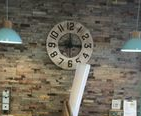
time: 12:16
